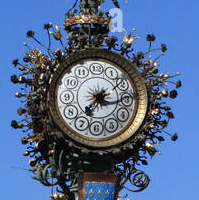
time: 7:15
